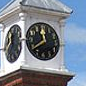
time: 11:39
